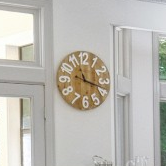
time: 11:18
